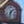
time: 1:32
